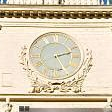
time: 2:25
